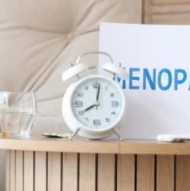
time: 8:01
